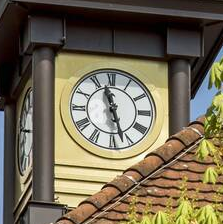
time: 11:26
